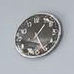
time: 1:24
